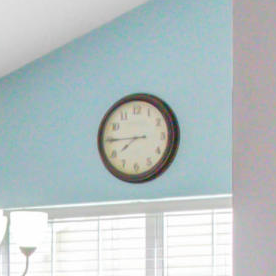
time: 7:45
